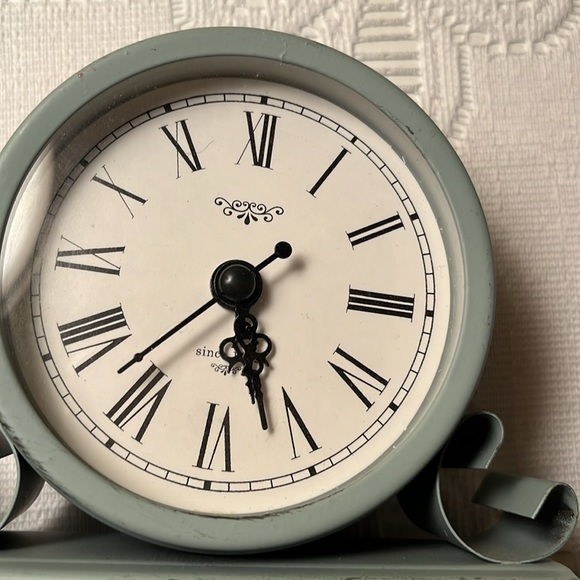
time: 5:26
